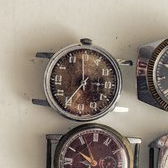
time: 2:58
